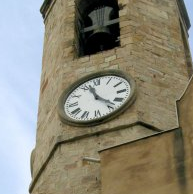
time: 11:22
